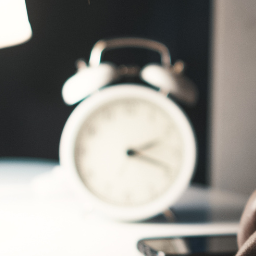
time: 2:18
